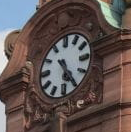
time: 5:24
